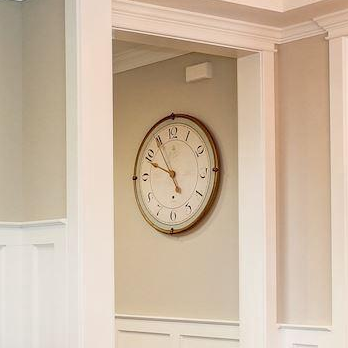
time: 4:48
